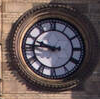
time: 9:45
